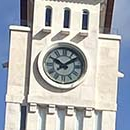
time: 10:08
